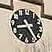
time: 8:24
